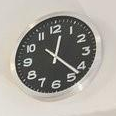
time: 12:22
